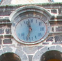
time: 11:32
